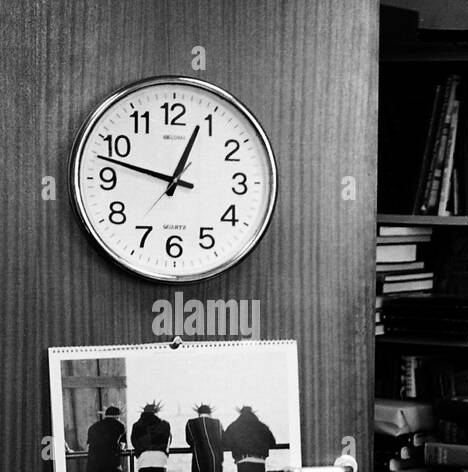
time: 12:47
